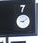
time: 9:09
